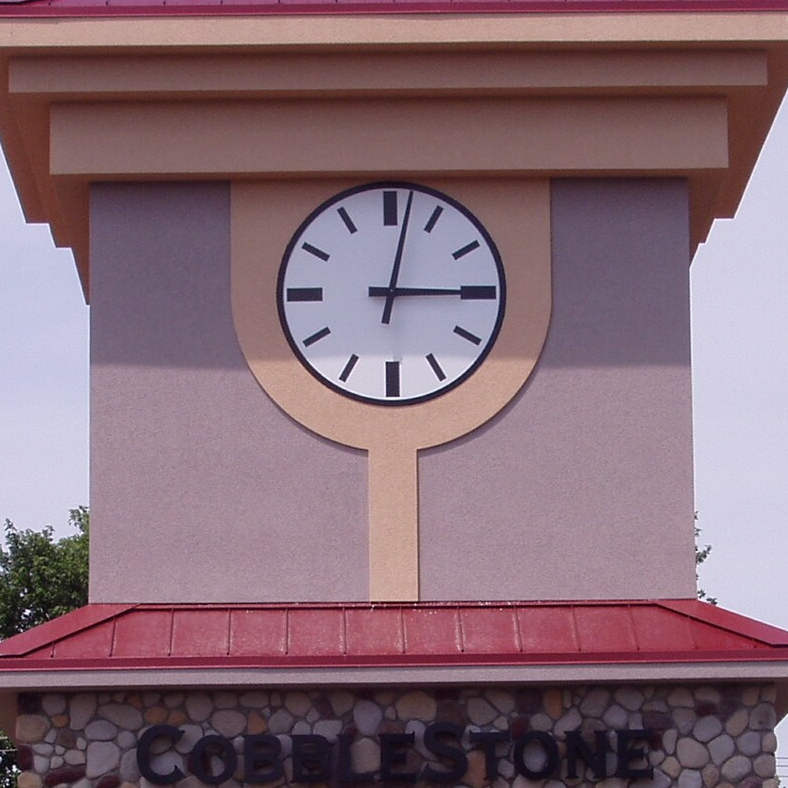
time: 3:02
